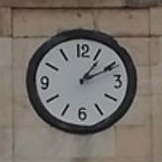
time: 1:10
